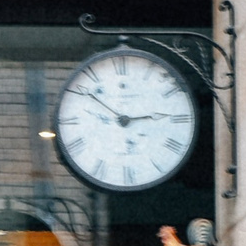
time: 2:52
